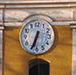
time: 6:34
